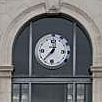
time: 12:37
